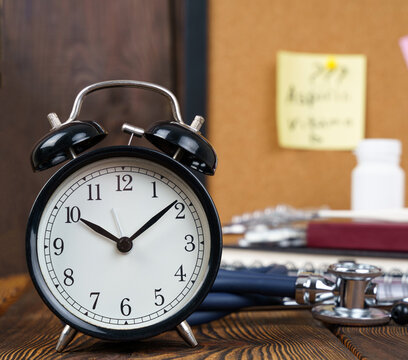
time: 10:08
